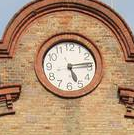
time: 5:13
